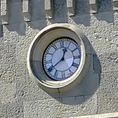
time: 12:39
